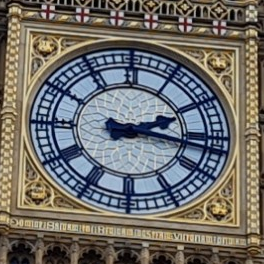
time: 2:16
